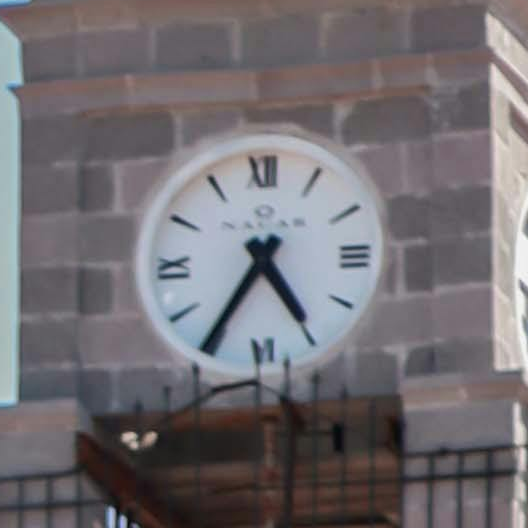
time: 4:35
